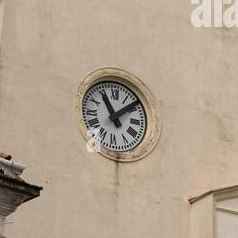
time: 11:08
